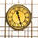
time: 11:26
